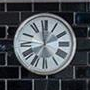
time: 1:59
